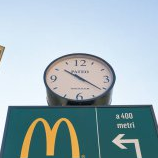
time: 10:21
